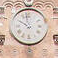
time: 9:57
